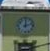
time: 12:12
